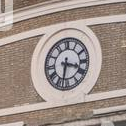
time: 3:32
